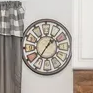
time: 1:36
